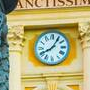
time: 8:05
